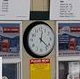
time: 12:22
